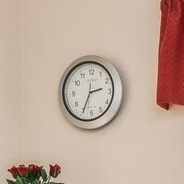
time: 2:34
